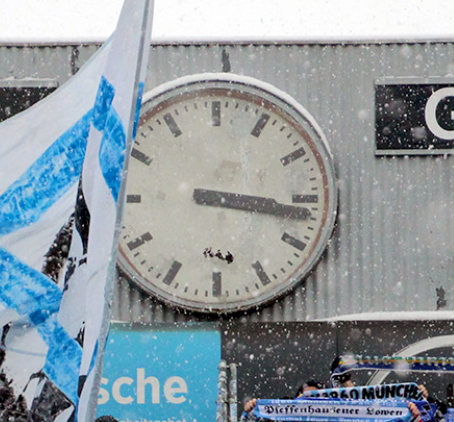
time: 3:16
